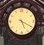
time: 5:19
